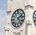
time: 2:23
